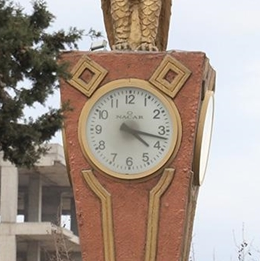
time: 4:17
